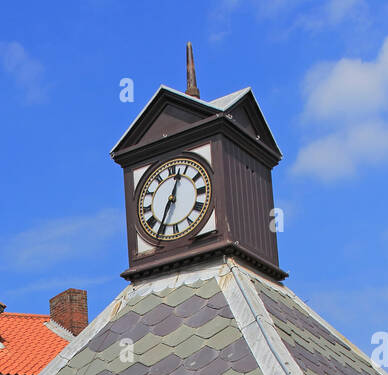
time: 12:34
